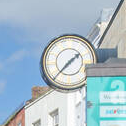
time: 1:37
